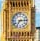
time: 7:14
